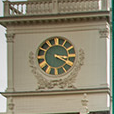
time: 3:19
